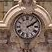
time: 2:09
